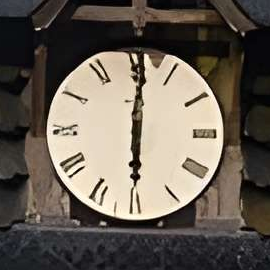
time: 6:00
